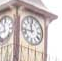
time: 11:42
